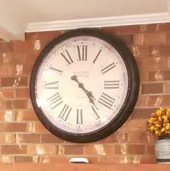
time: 4:23
